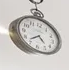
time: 4:37
